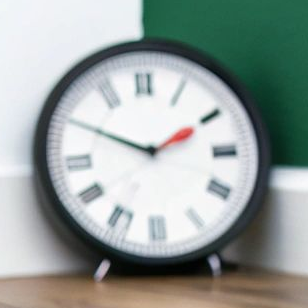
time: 1:49
